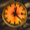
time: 12:21
